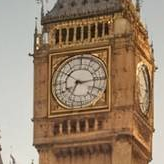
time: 7:14
